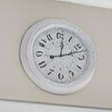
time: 12:12
